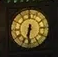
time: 6:31
